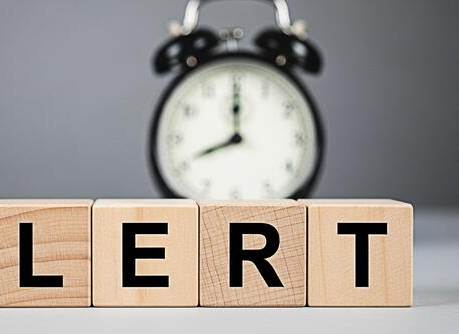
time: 8:00
